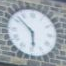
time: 5:52
